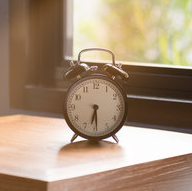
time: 6:29
